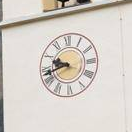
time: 9:42
